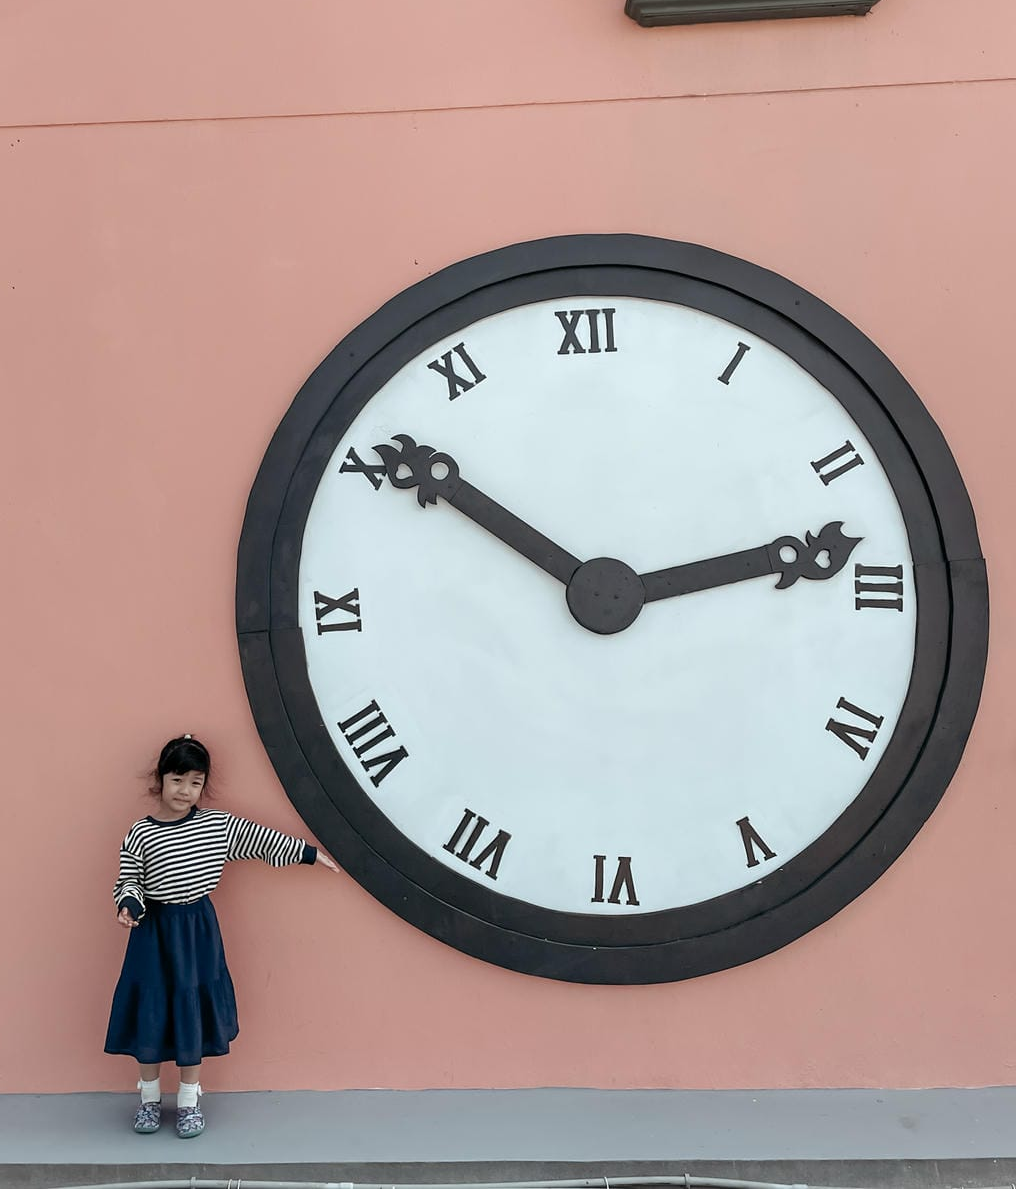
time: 10:13
